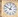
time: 12:49
